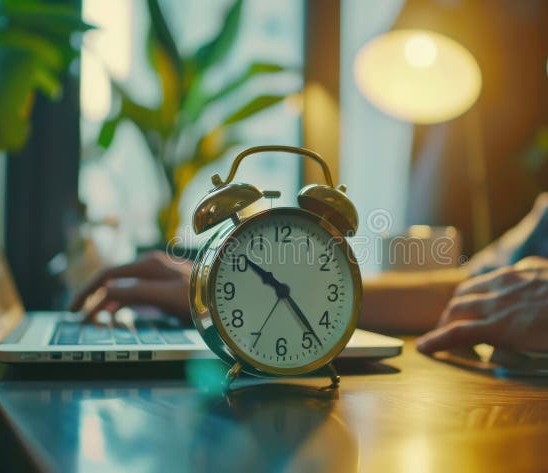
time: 10:23
